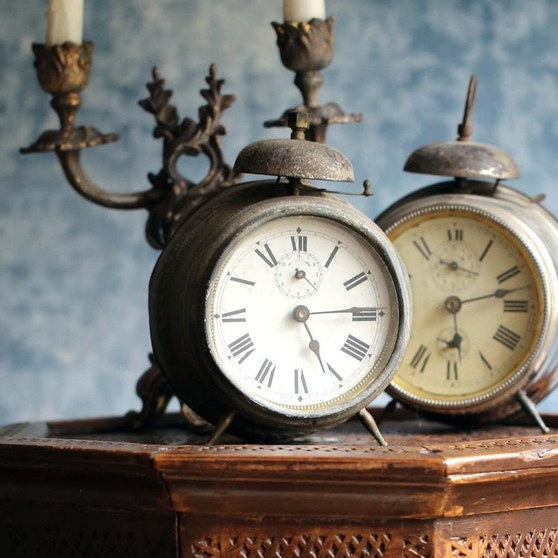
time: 5:14
